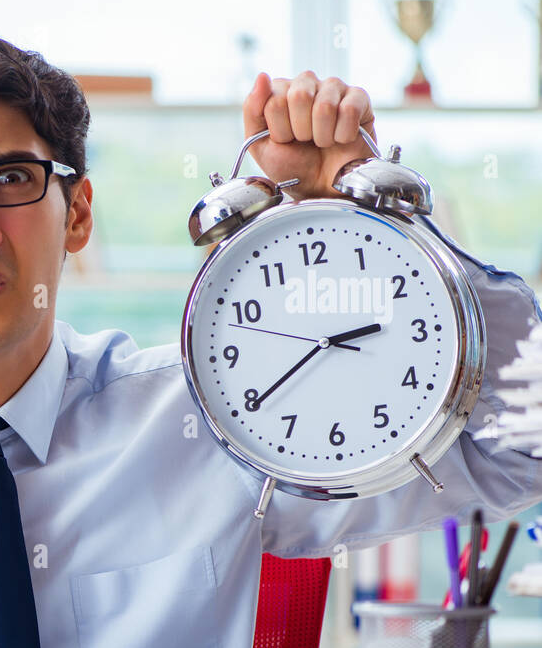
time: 2:39
